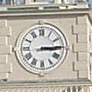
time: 3:14
